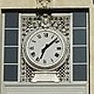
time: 1:33
